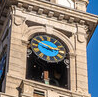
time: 2:48
